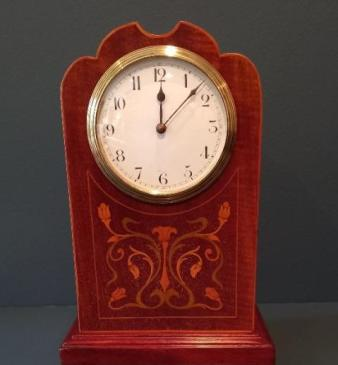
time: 12:07
